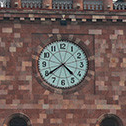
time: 4:39
